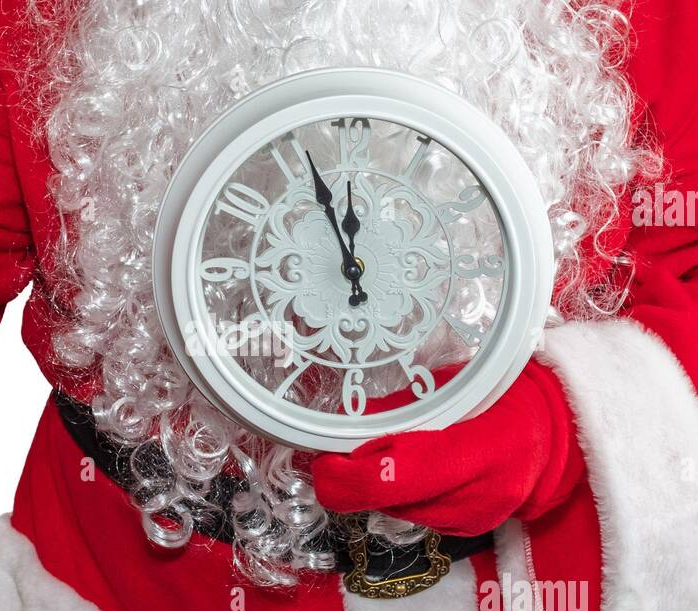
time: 11:56
